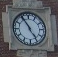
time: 4:54
